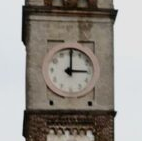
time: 3:00
